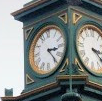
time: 3:23
